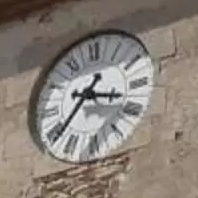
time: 3:37
